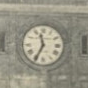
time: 11:34
